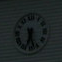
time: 6:26
